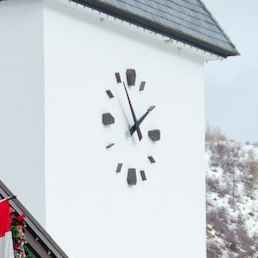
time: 1:56
